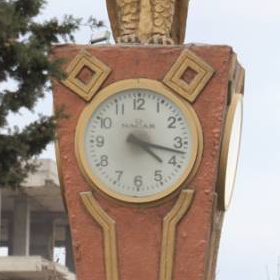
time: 4:17
